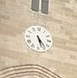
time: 5:23
